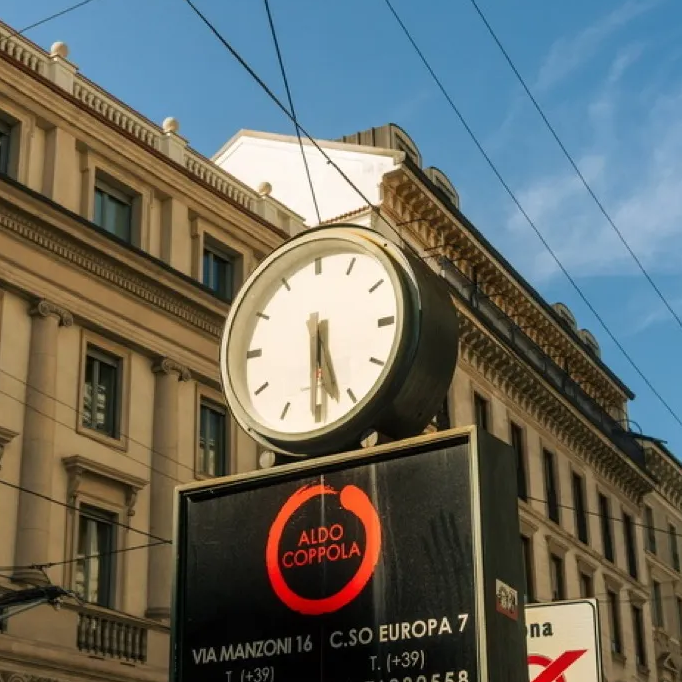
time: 5:30
